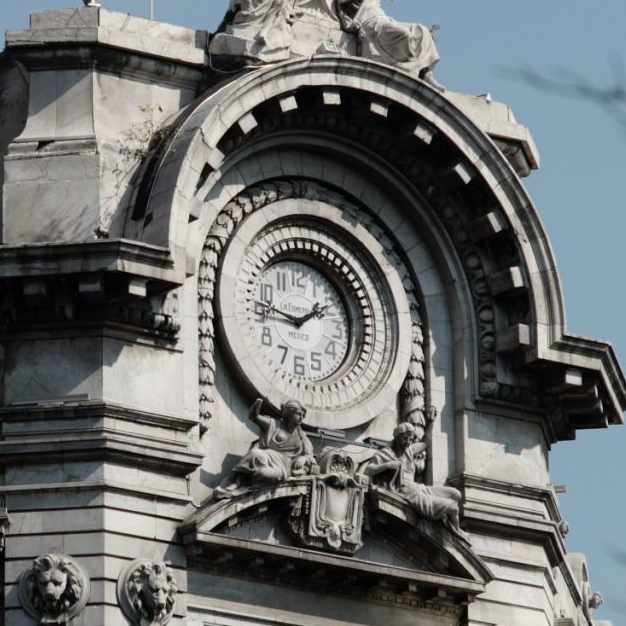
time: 1:46
